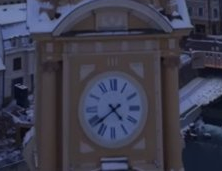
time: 4:38
